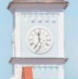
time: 11:34
